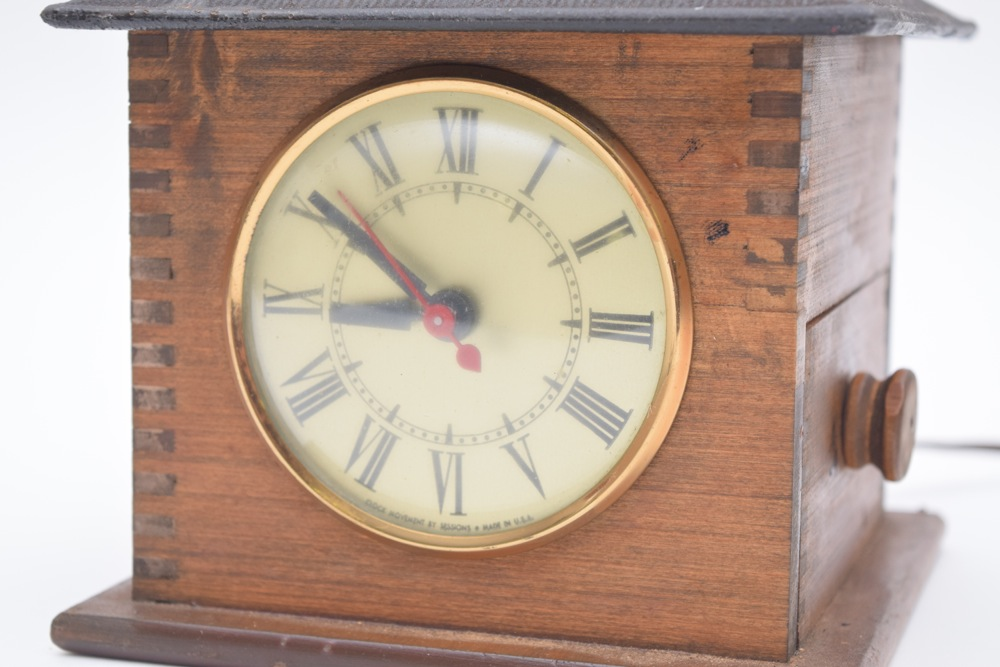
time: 8:50
